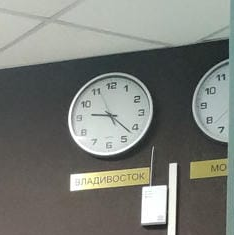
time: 9:22
